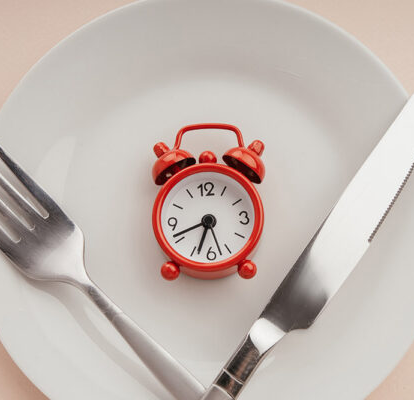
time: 6:41
